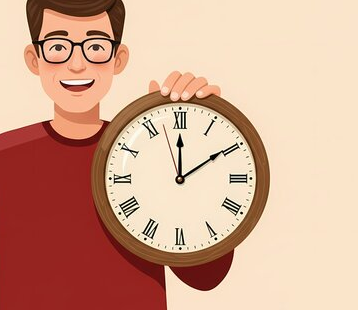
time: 12:09
